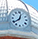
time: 12:38
